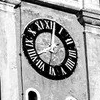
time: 1:01
